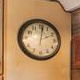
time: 2:01
